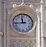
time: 11:44
